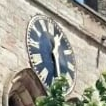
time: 12:28
